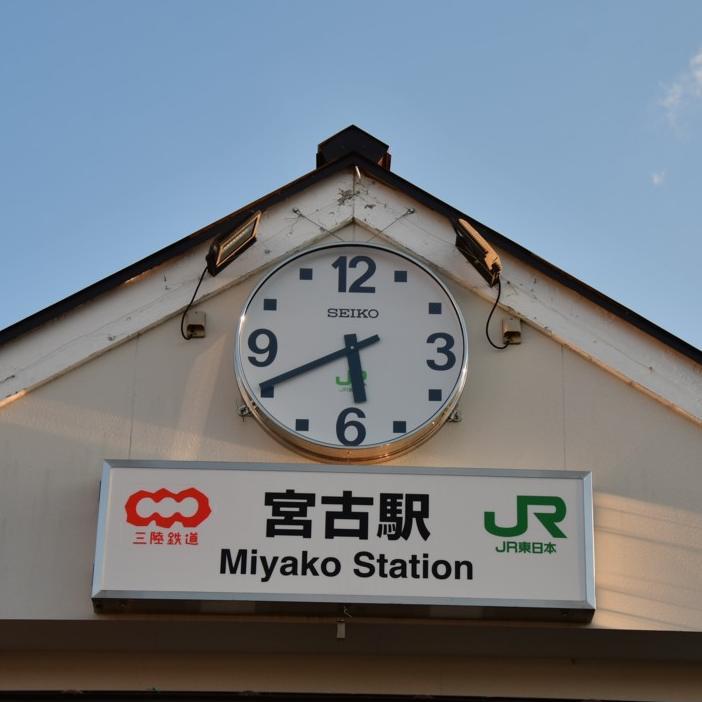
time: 5:40
